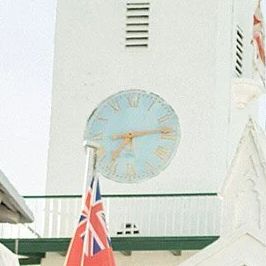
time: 7:13
